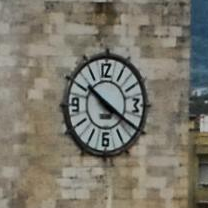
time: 10:20
